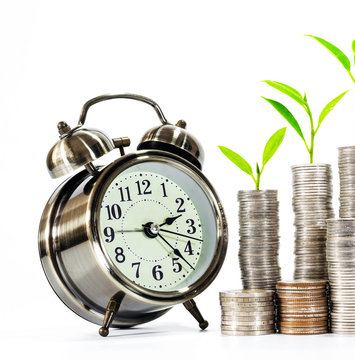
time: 2:22
